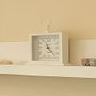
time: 11:22
